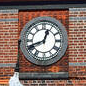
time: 12:41
